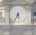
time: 5:34
